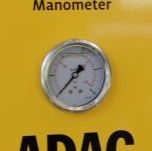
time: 1:36
